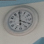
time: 3:59
